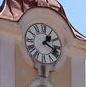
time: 1:18
